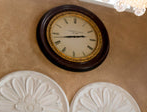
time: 2:42
